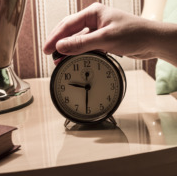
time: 9:30
